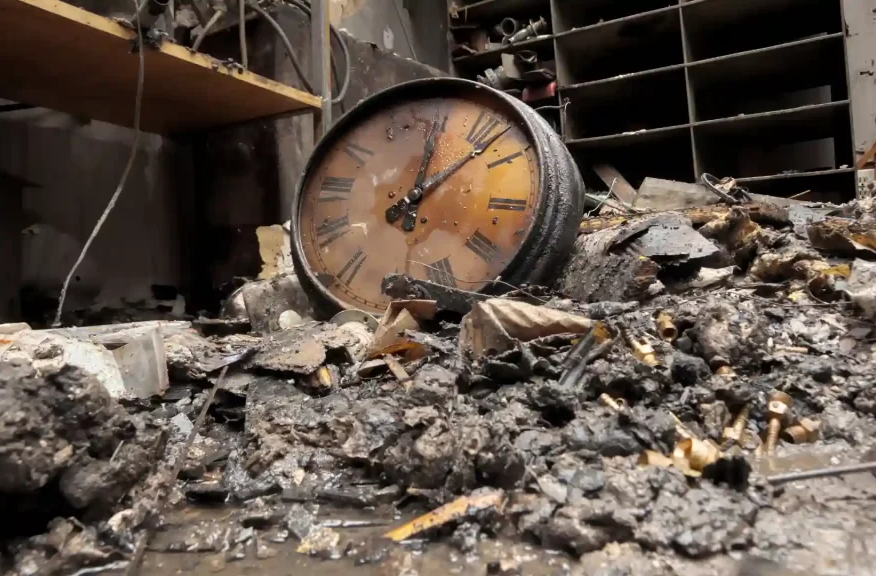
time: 12:07
